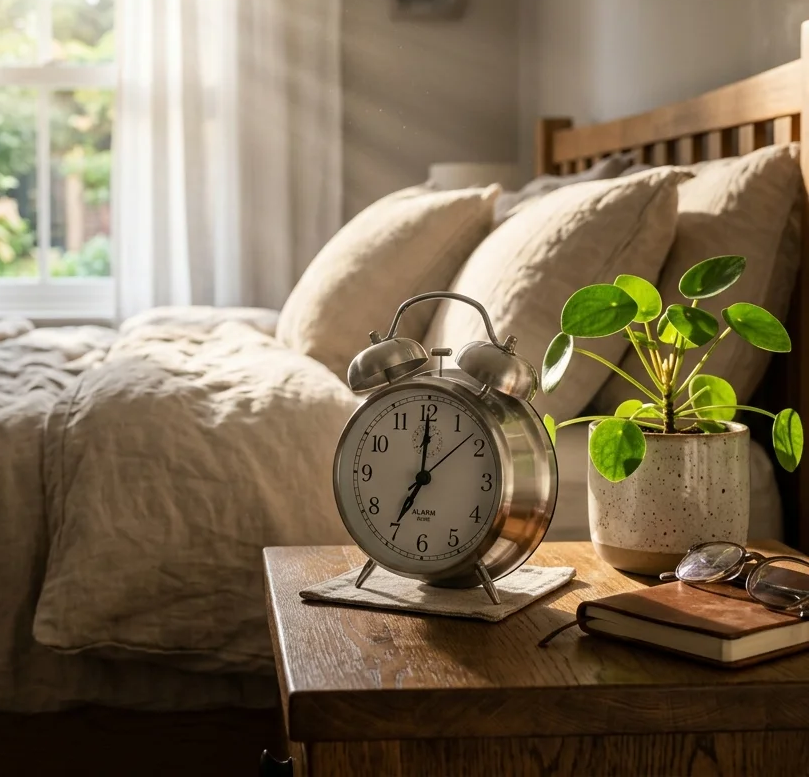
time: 7:00
